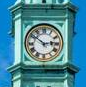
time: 2:51
